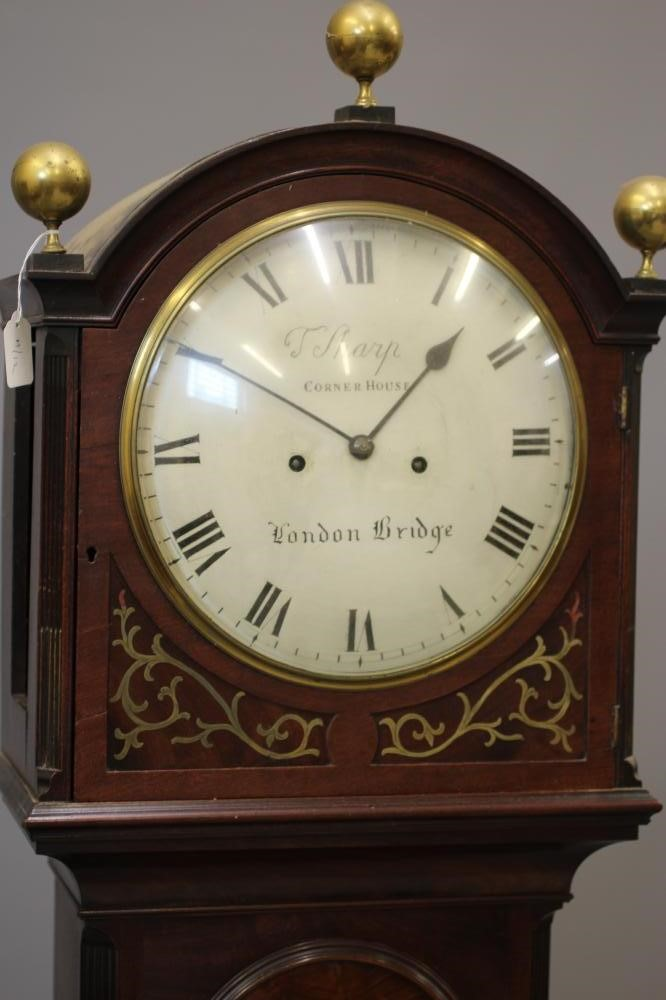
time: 1:49
